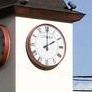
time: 2:00
